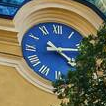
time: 4:13
